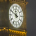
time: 11:49
